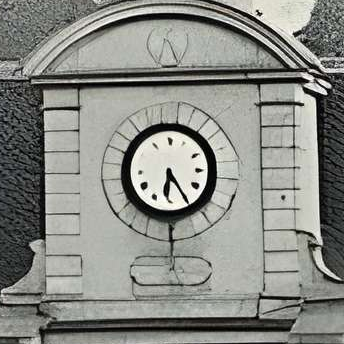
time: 6:24
